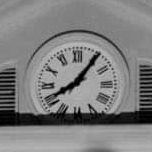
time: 8:06
